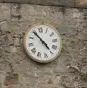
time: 4:54
